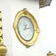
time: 1:12
